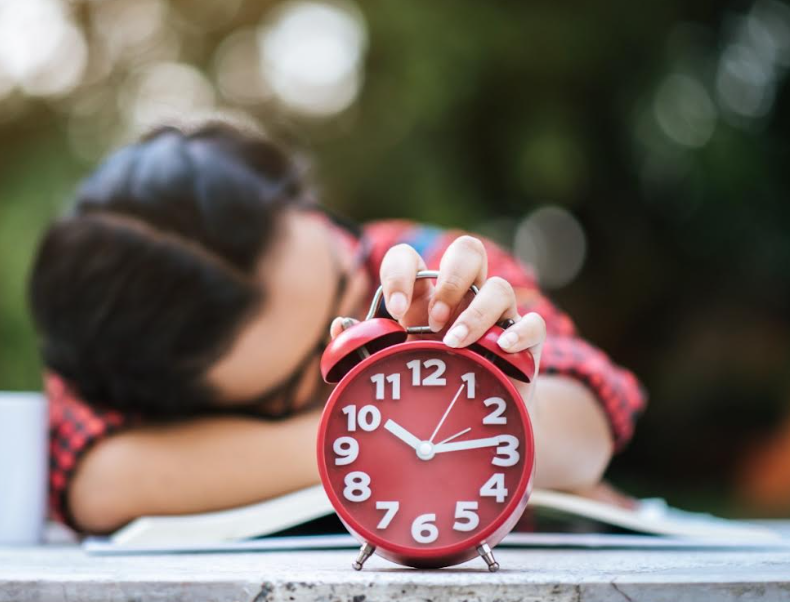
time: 10:13
